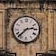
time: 2:37
